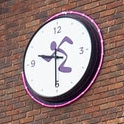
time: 9:30
